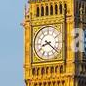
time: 8:21
